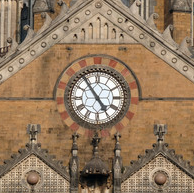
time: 4:54
